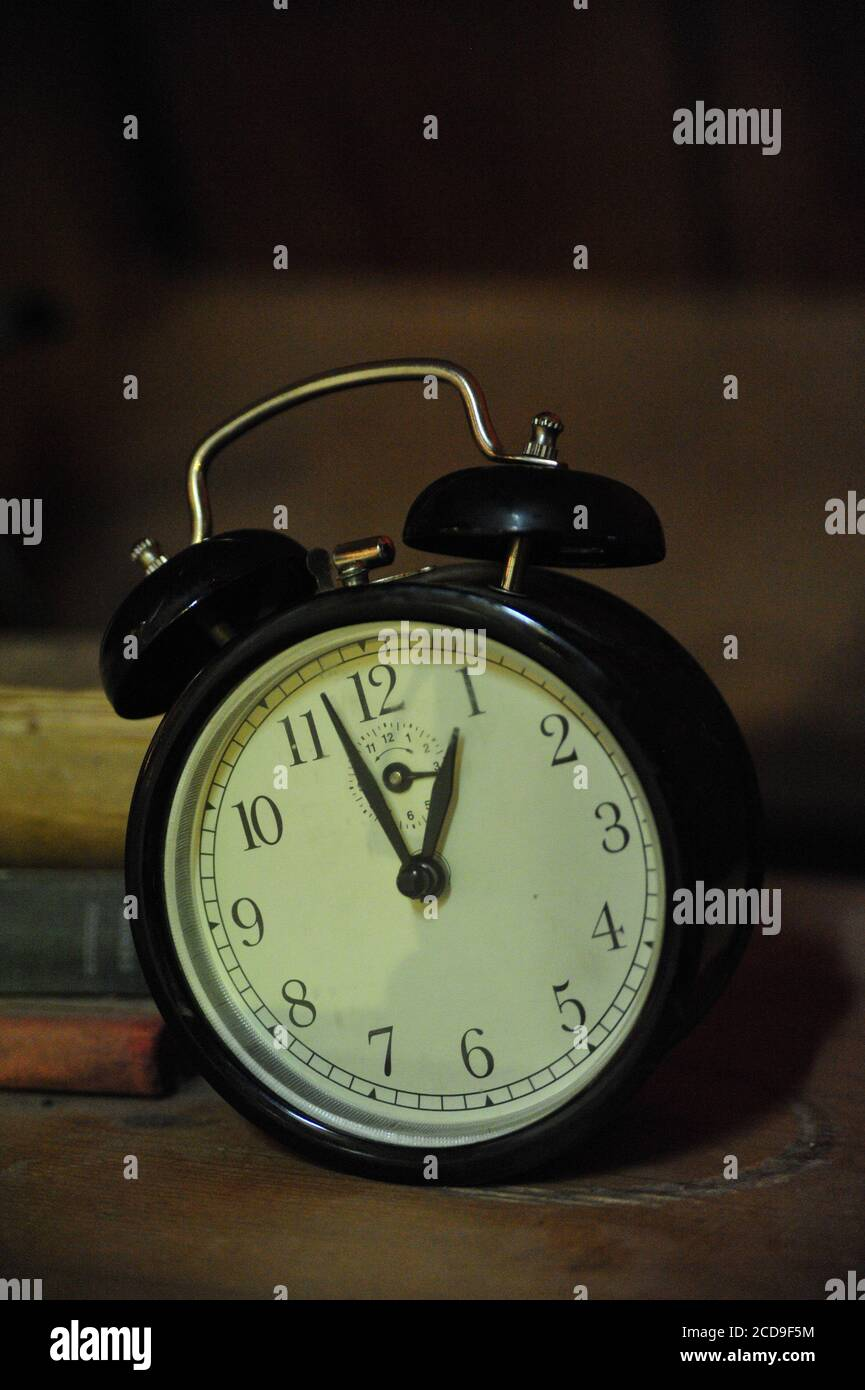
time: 12:57
